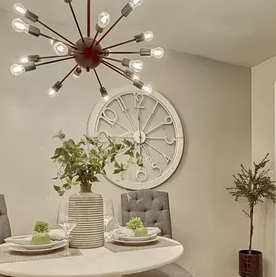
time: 12:09
